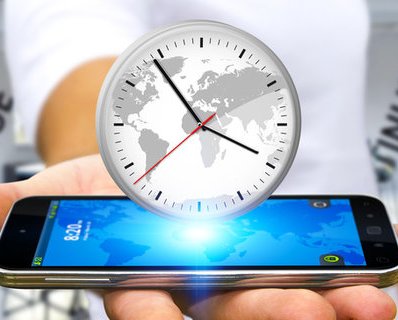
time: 3:54
